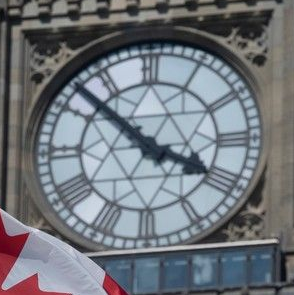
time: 3:52
